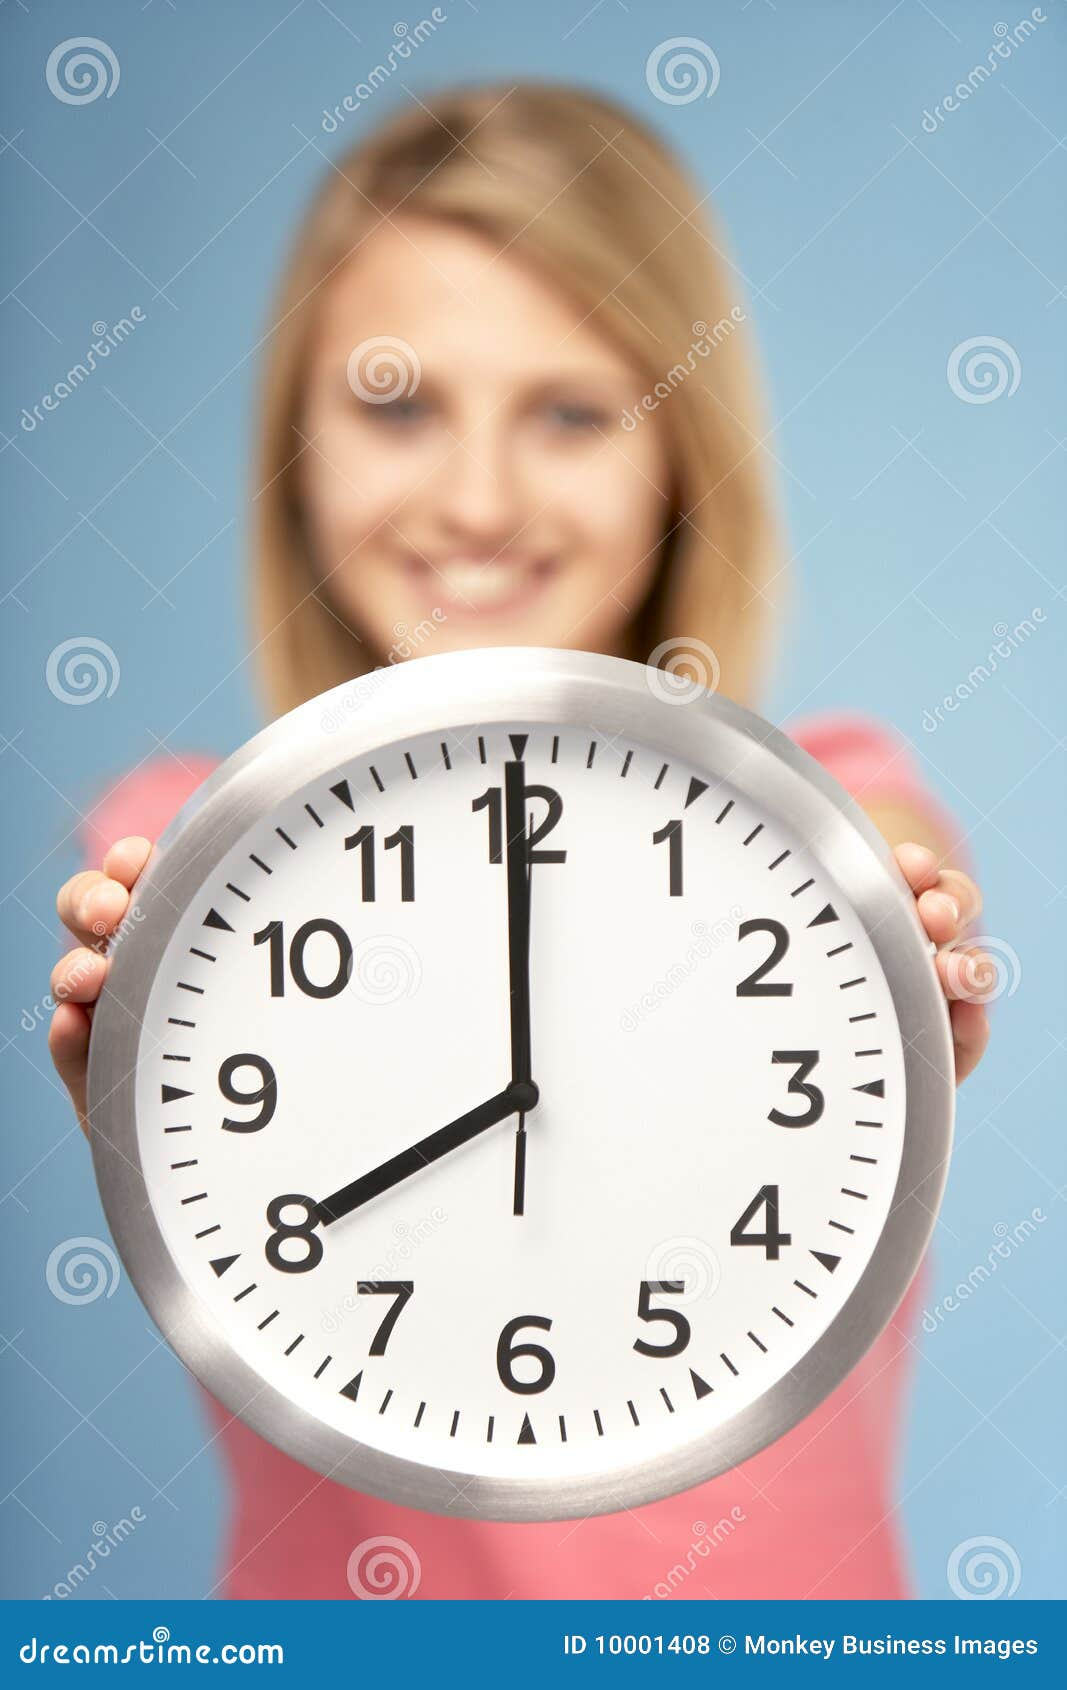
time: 7:59
